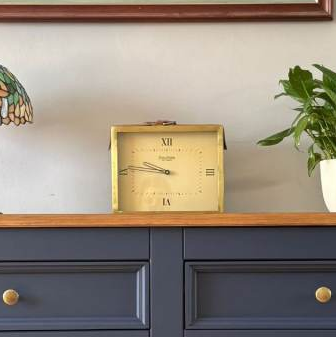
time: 9:45
